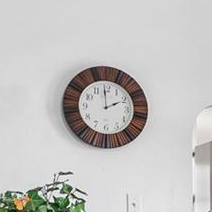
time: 1:59
